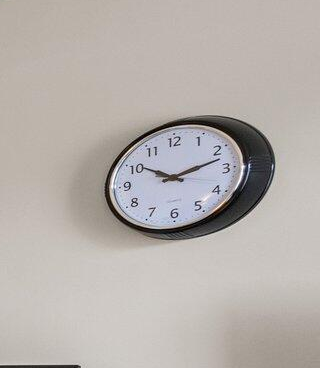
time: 10:12
